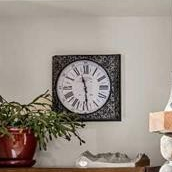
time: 11:28
